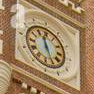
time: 11:26
